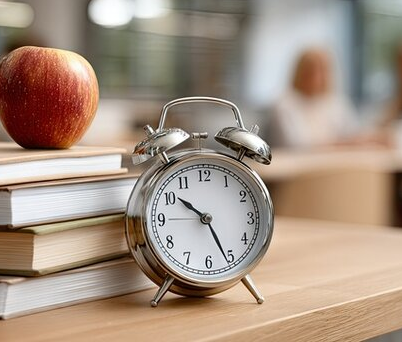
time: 10:25
